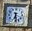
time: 6:28
